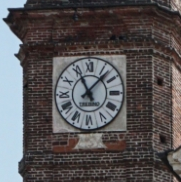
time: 11:07
